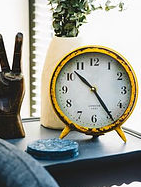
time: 10:24
